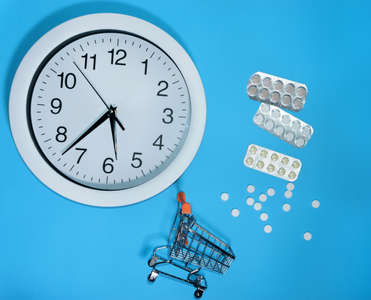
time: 5:37
